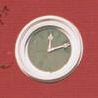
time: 12:12
